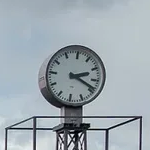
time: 2:18
